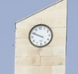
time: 9:49
